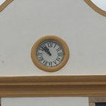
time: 10:51
